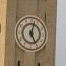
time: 5:02
